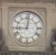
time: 9:01
